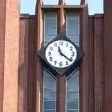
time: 11:21
